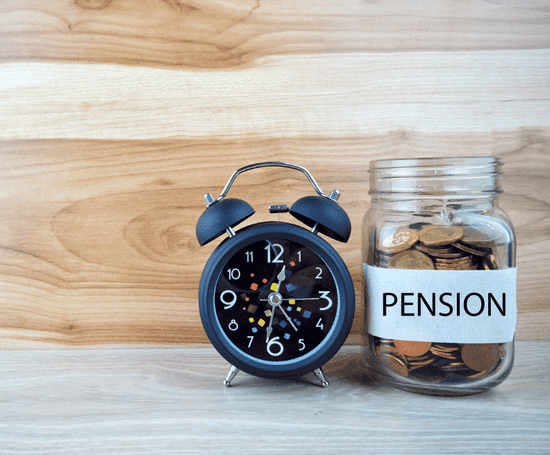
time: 12:32
